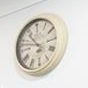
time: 10:47
